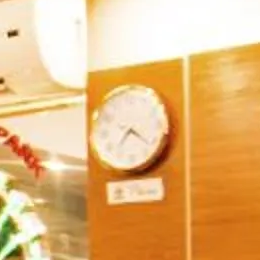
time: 7:21
